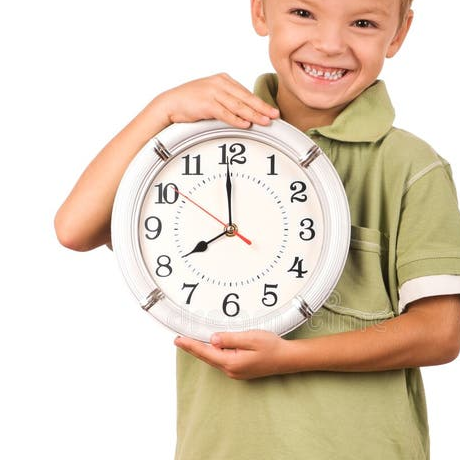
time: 7:59
